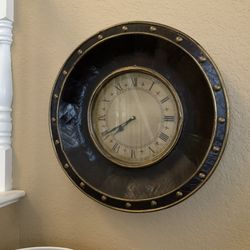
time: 7:40
